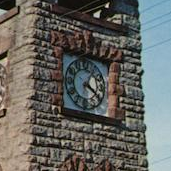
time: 4:04
